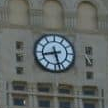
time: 8:27
